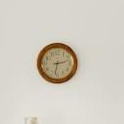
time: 2:32
